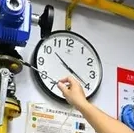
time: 10:20
